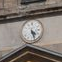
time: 4:26
